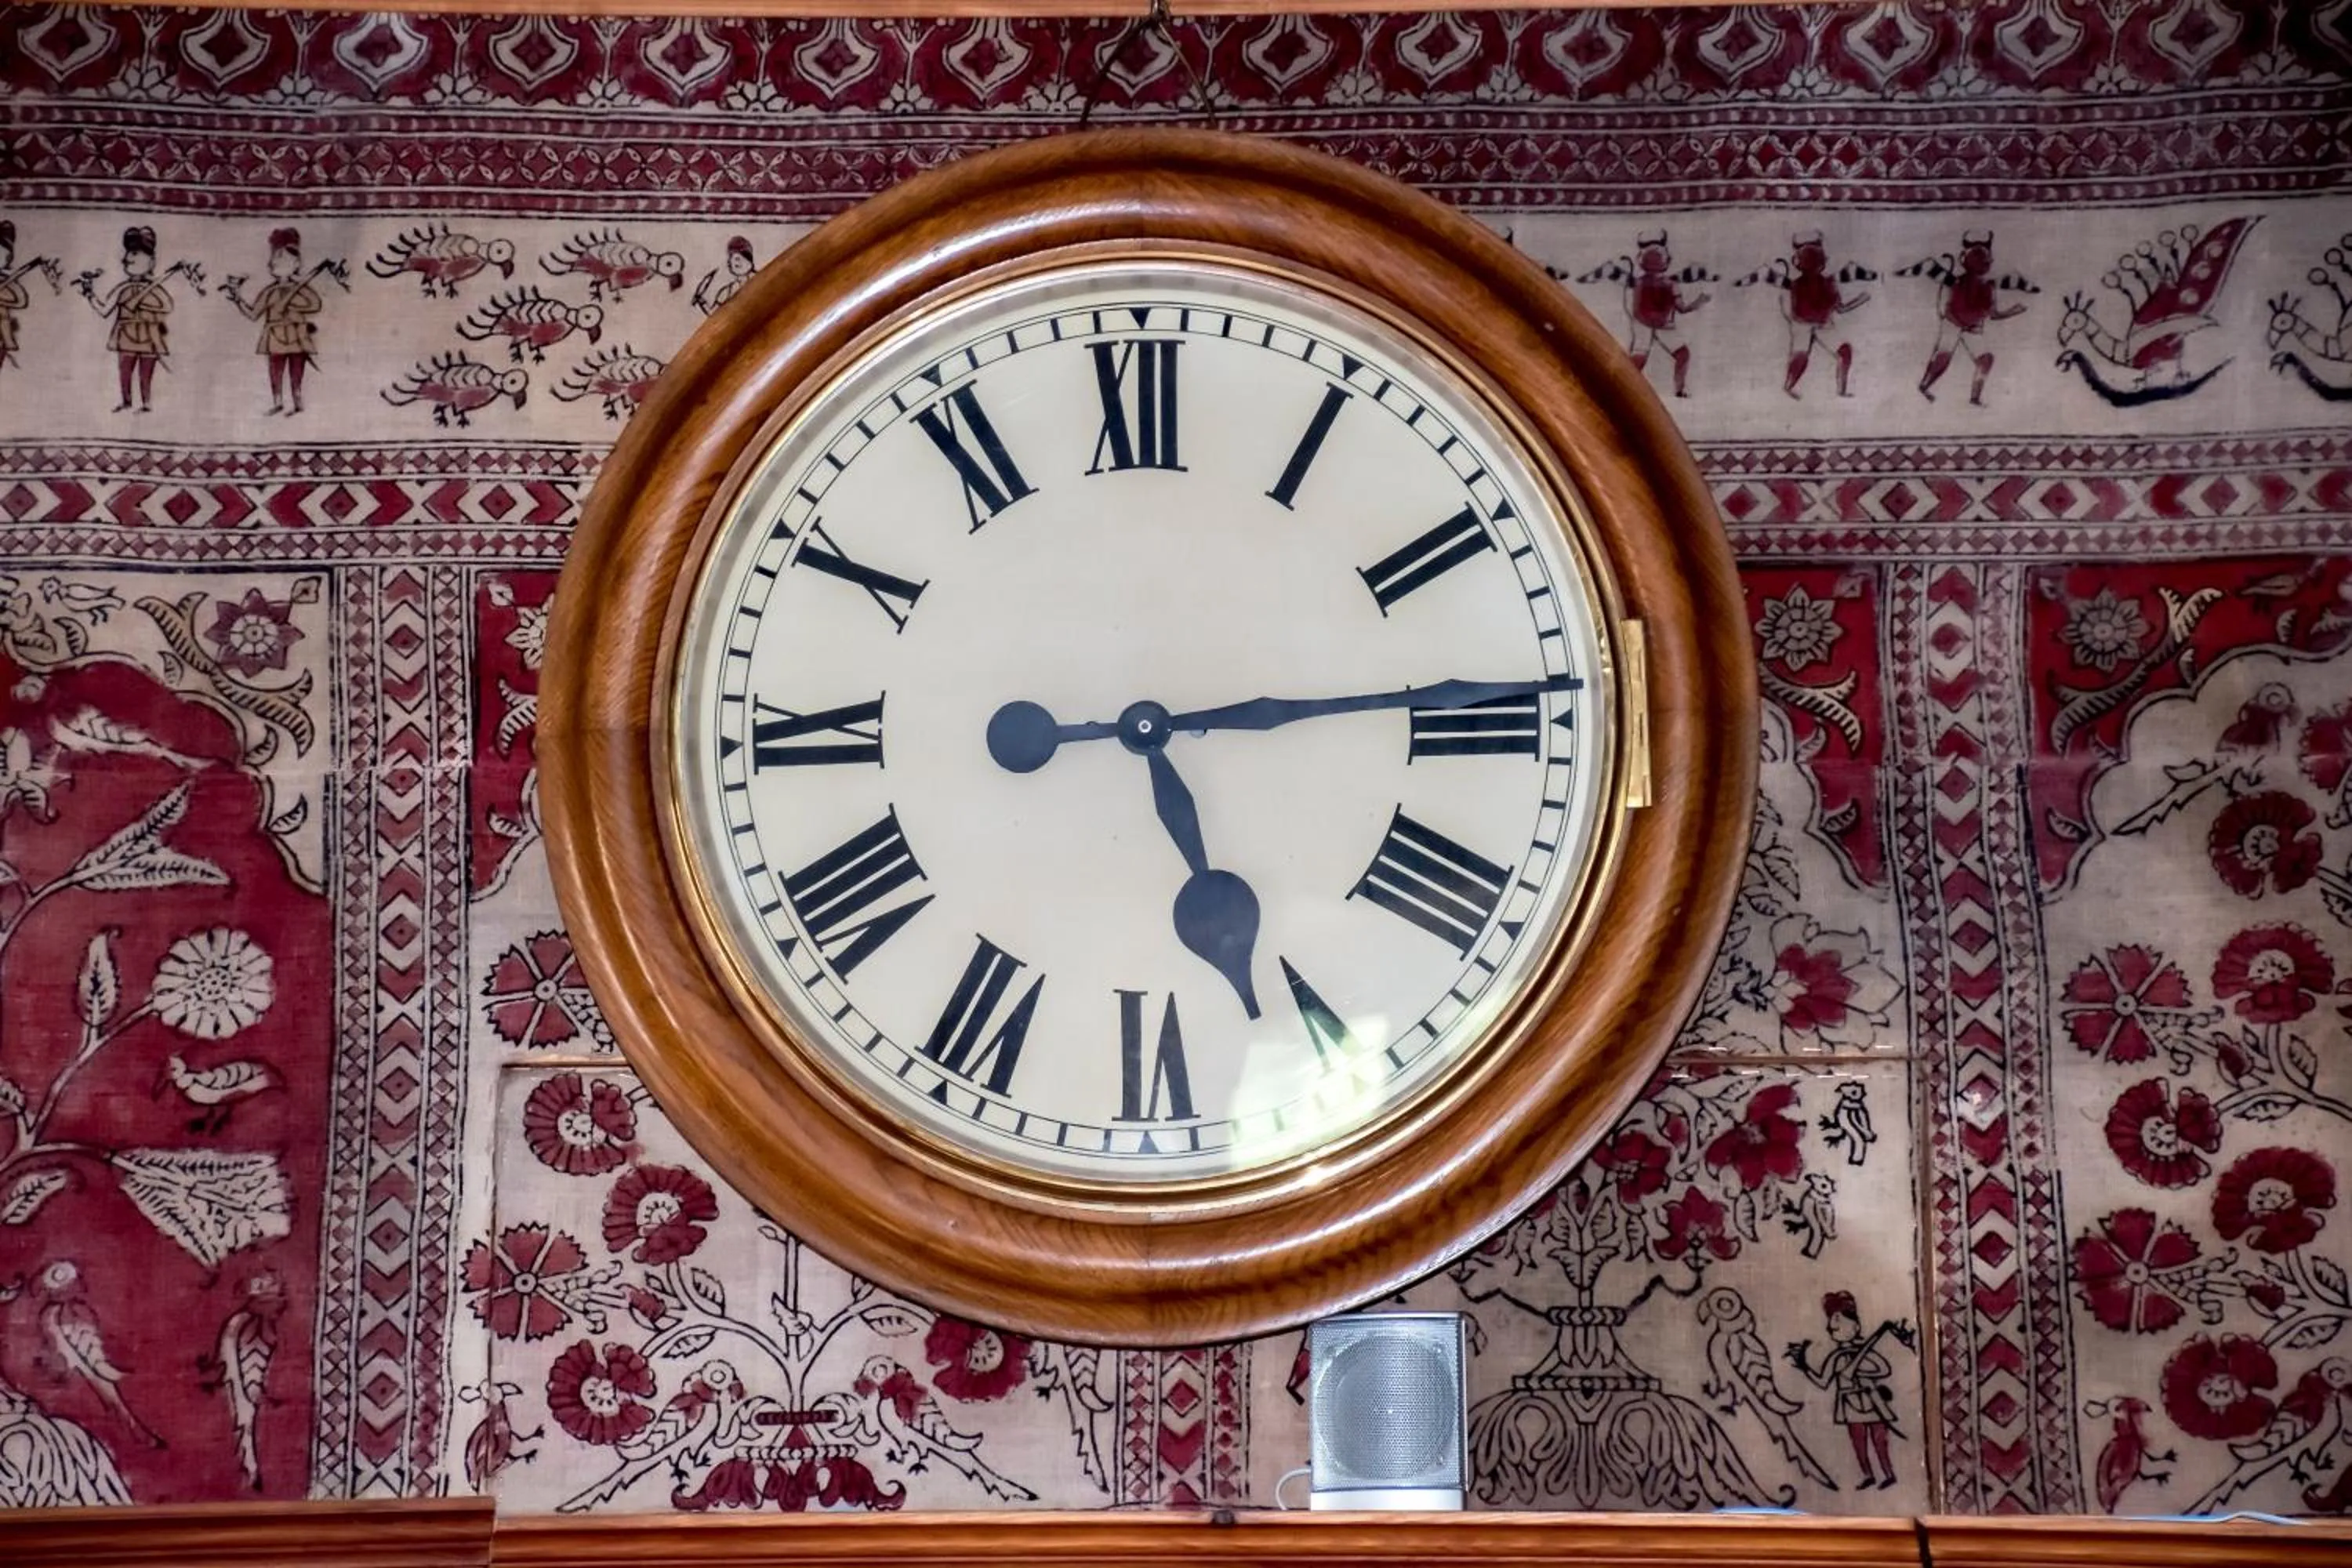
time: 5:14
